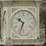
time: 10:33
